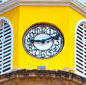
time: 9:11
